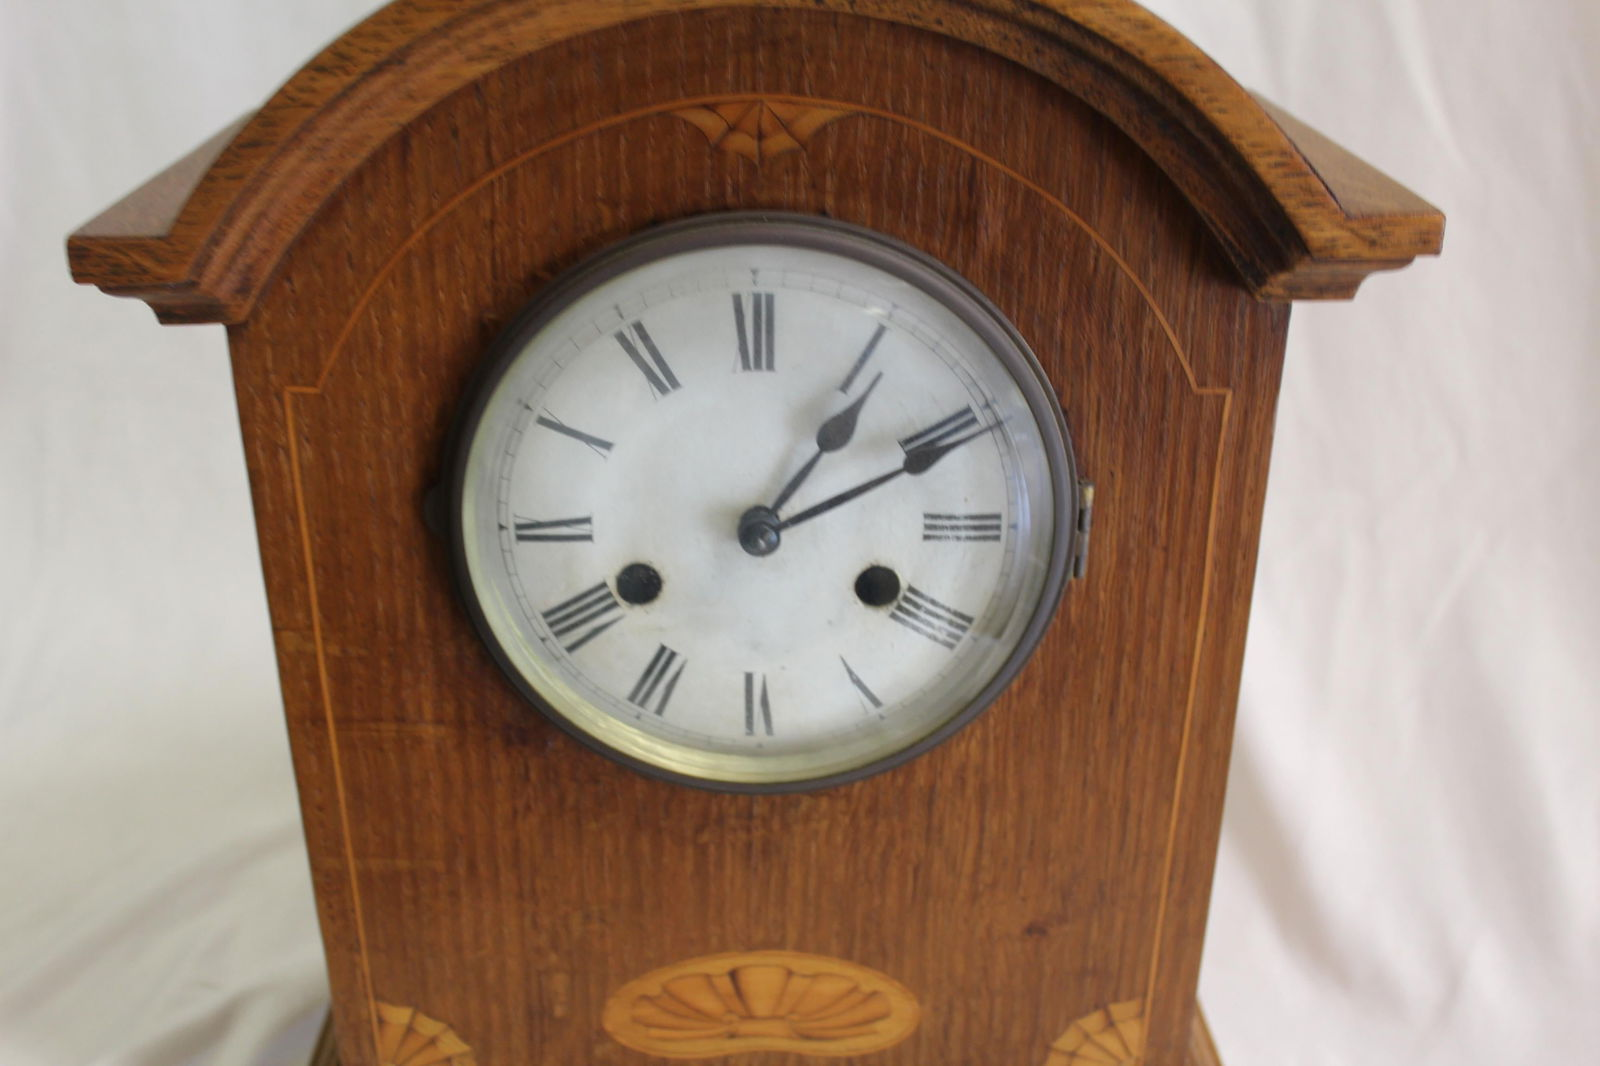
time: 1:10
